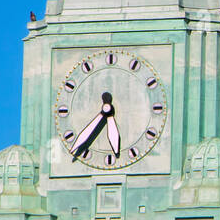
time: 5:36
